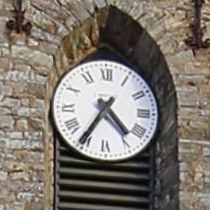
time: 4:35
